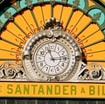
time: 11:14
